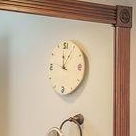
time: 12:05
